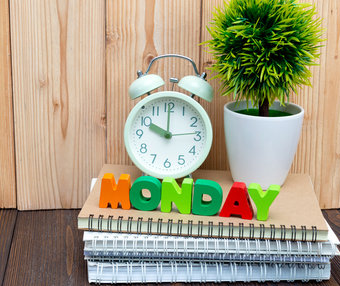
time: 10:00
